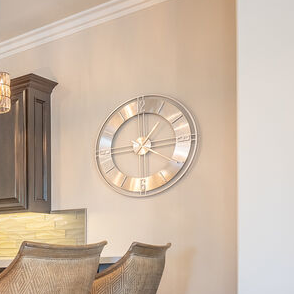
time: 1:14
